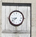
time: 8:38
